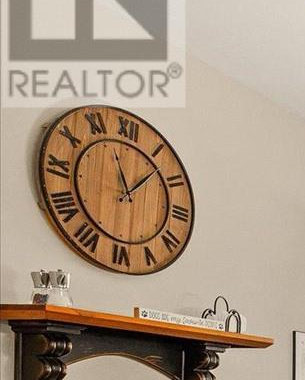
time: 11:07
